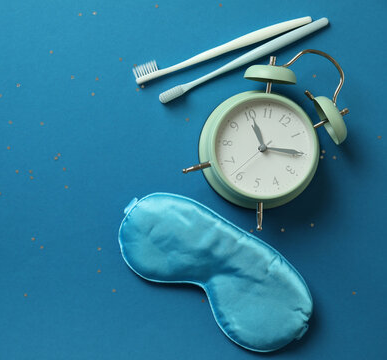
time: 11:14
